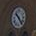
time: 10:23
